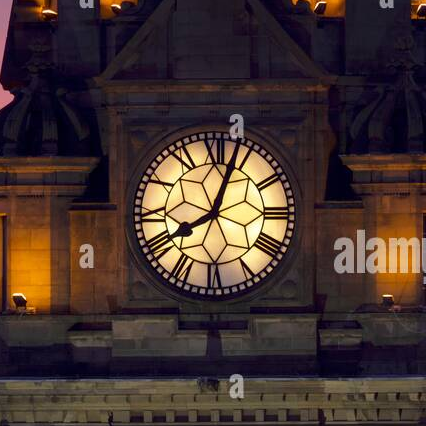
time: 8:03
